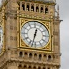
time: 12:32
